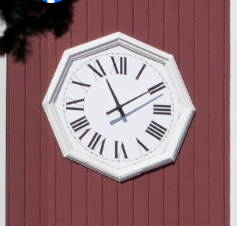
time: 11:09
